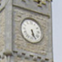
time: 5:26
